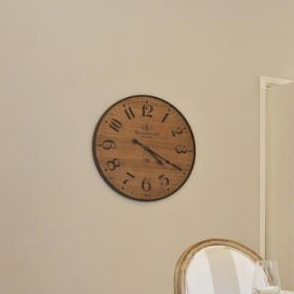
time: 4:19
